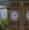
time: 3:13
